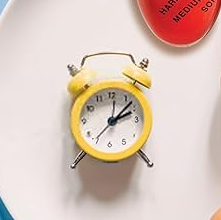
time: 2:07
